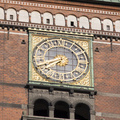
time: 7:41
